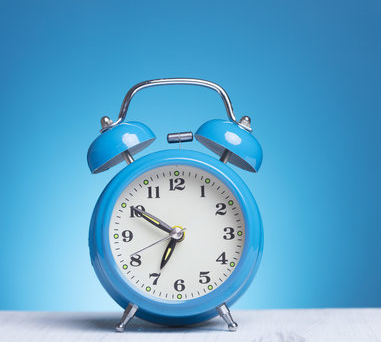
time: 6:50
